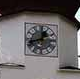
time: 12:41
